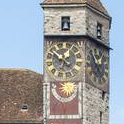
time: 10:22
